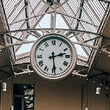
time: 2:29
